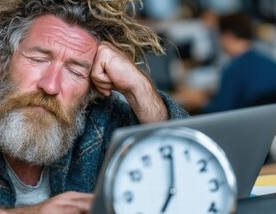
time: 7:01
